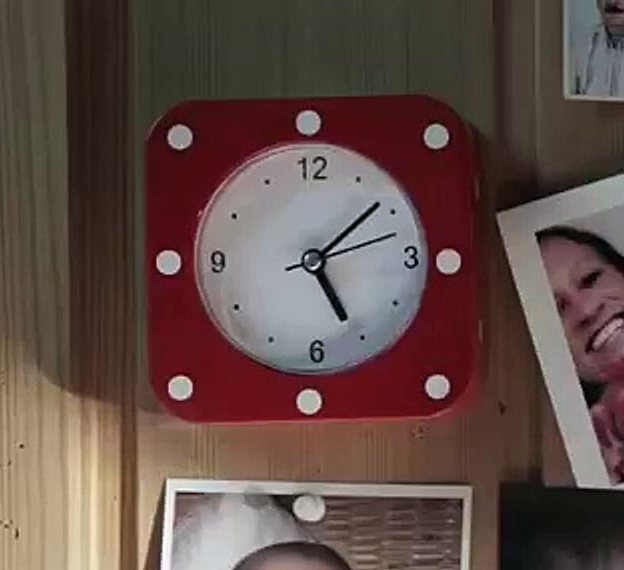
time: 5:08
